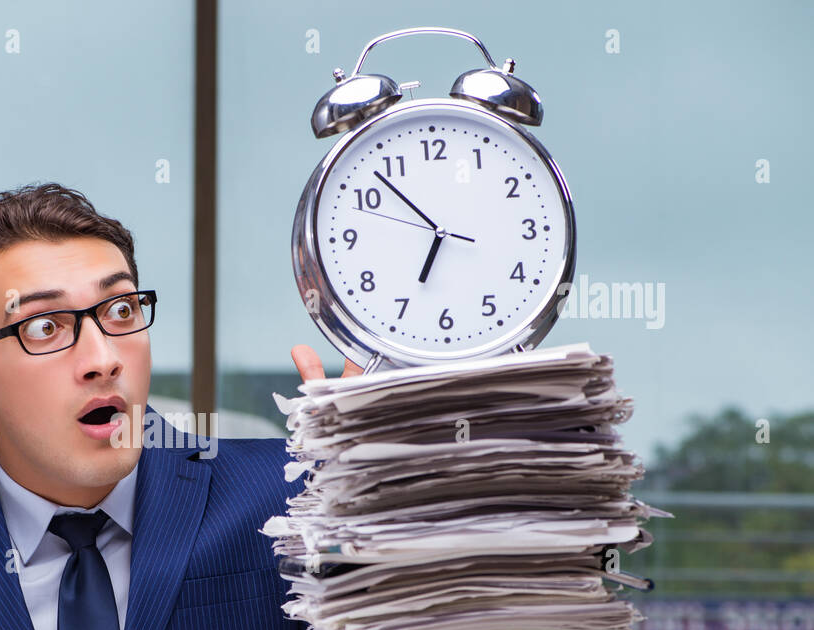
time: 6:52
